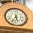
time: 5:33
